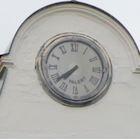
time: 7:39
